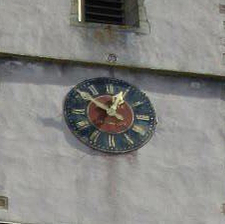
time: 12:51
